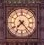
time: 7:23
